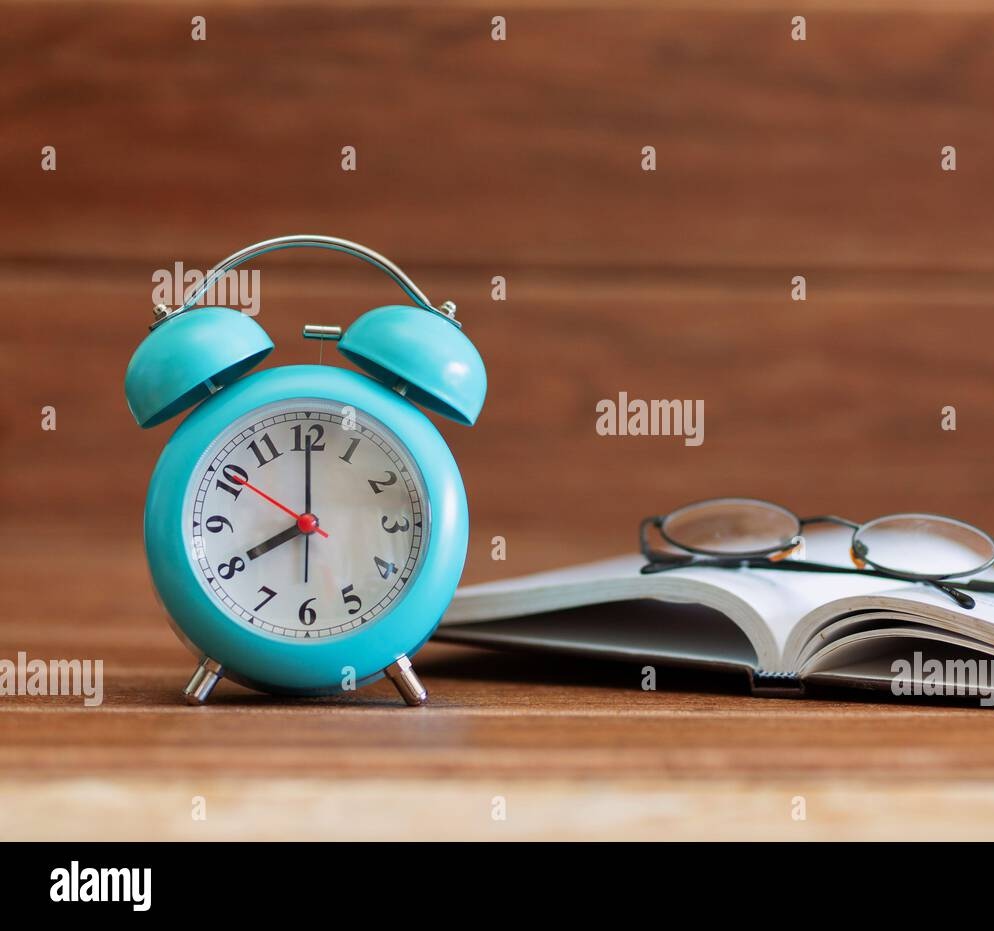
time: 8:00
